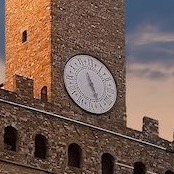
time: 5:26
